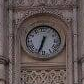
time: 6:34
